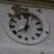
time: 8:01
